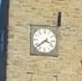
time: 3:38
